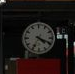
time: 4:18
